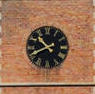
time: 10:40
